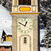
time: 12:49
